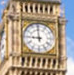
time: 8:58
